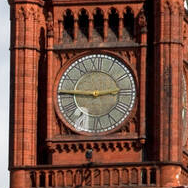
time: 2:45
